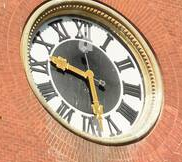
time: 5:46
